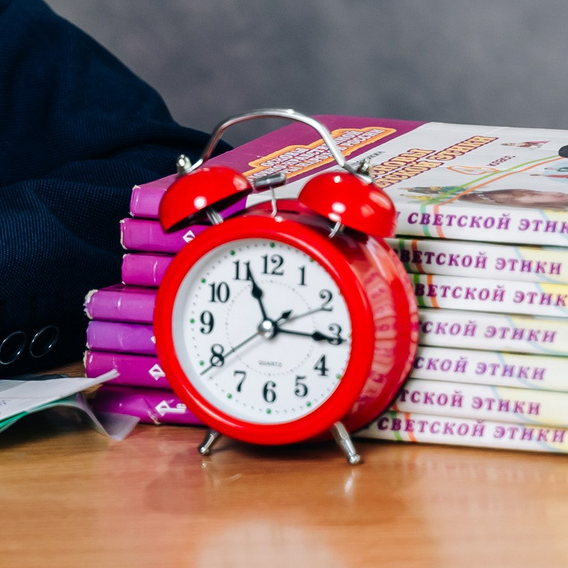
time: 11:16
